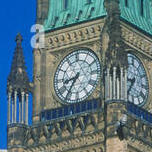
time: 8:35
